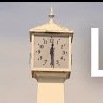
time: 12:29
